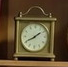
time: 1:40
